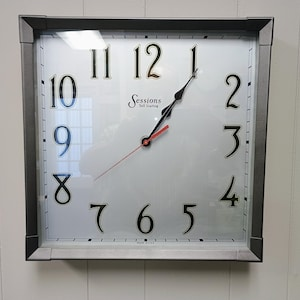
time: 1:06
